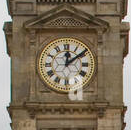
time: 12:08
